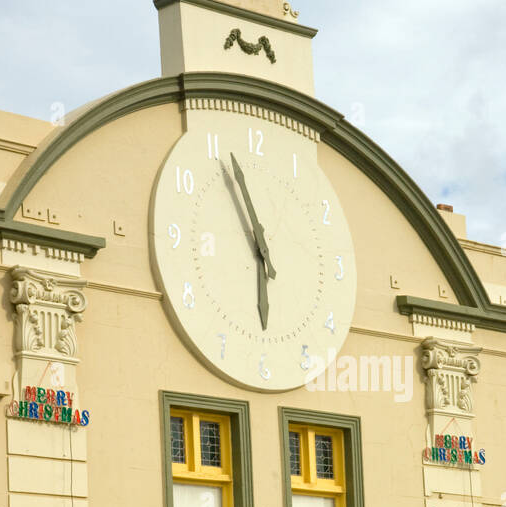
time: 5:56
